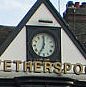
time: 7:00
